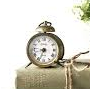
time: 8:33
